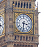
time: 3:31
